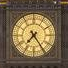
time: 7:24
